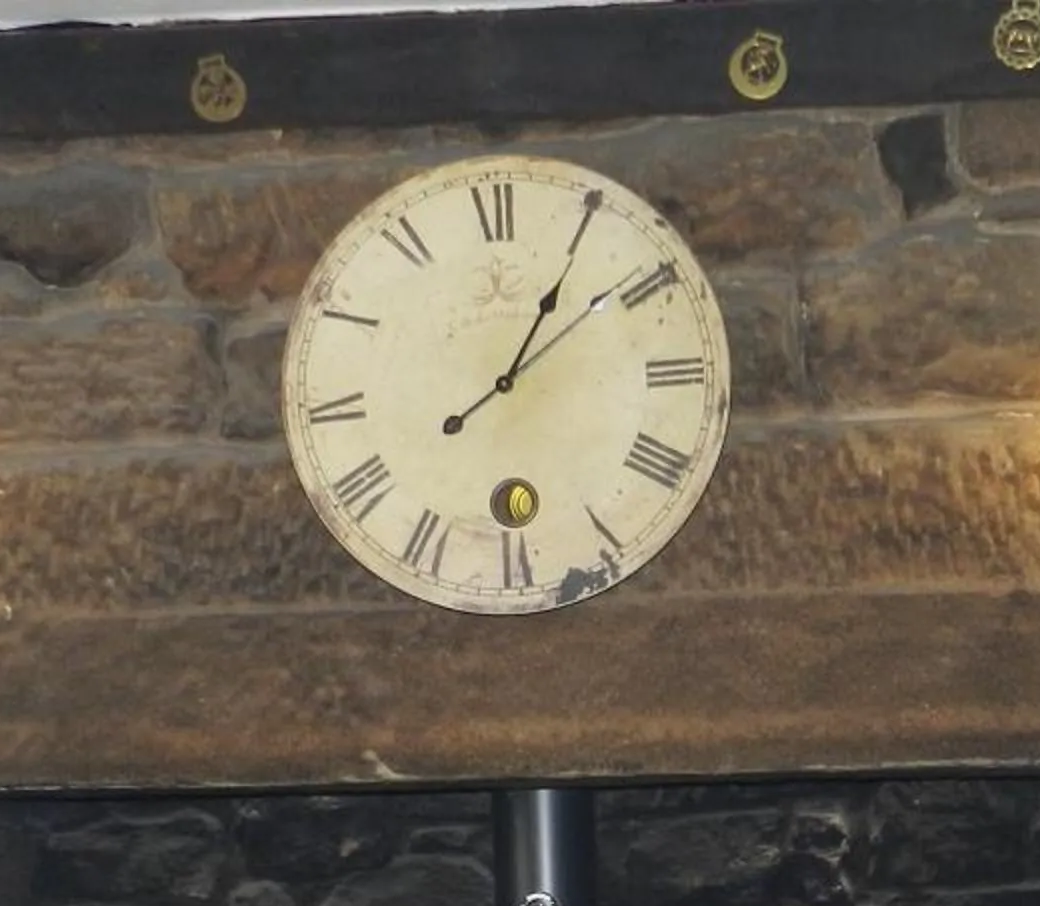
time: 1:09
